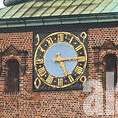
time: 5:14
